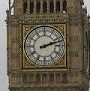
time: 2:12
